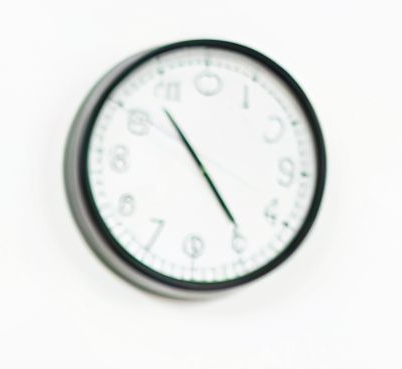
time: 4:53
